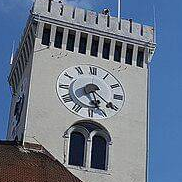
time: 5:20
